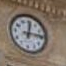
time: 12:14
